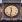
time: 11:32
